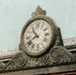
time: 10:41
